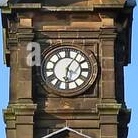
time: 6:05
